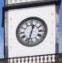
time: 12:32
